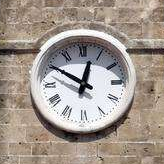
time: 12:50
